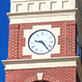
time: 9:23
